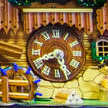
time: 8:25
